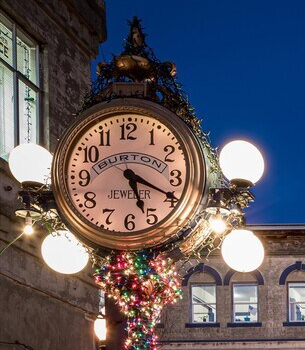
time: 5:19
